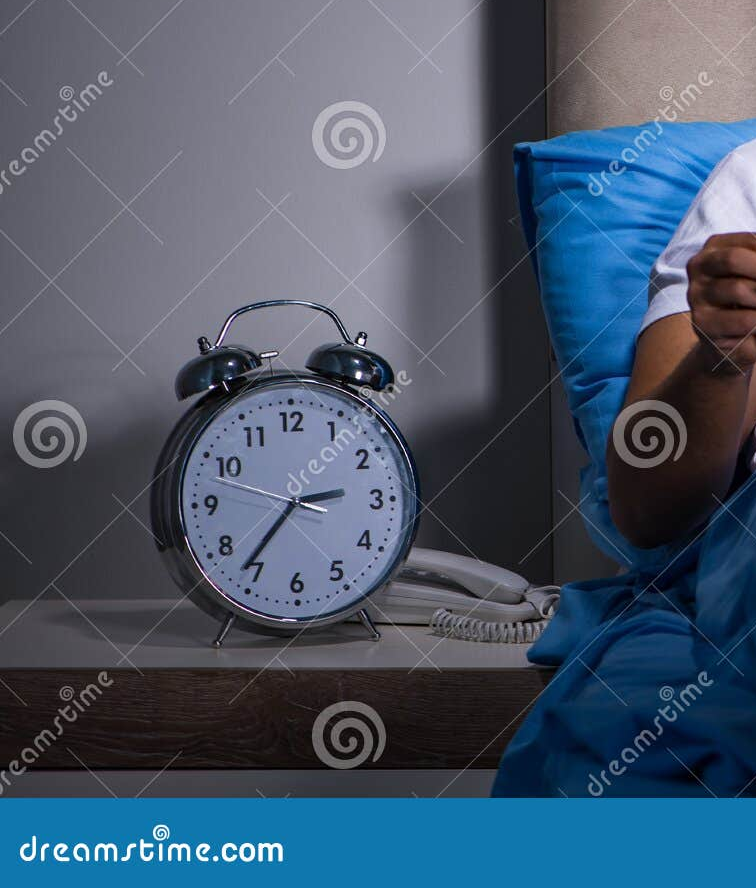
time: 2:36
